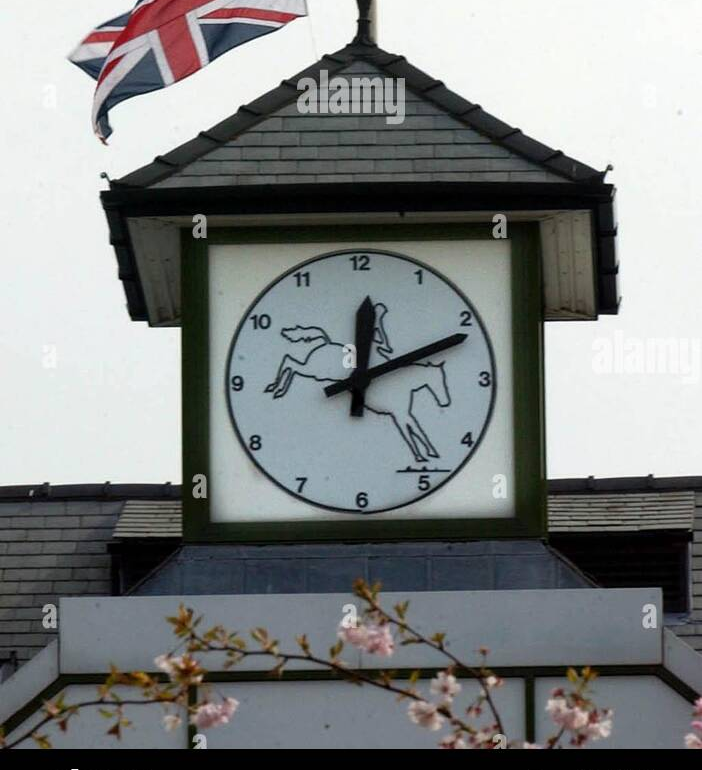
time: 12:11
